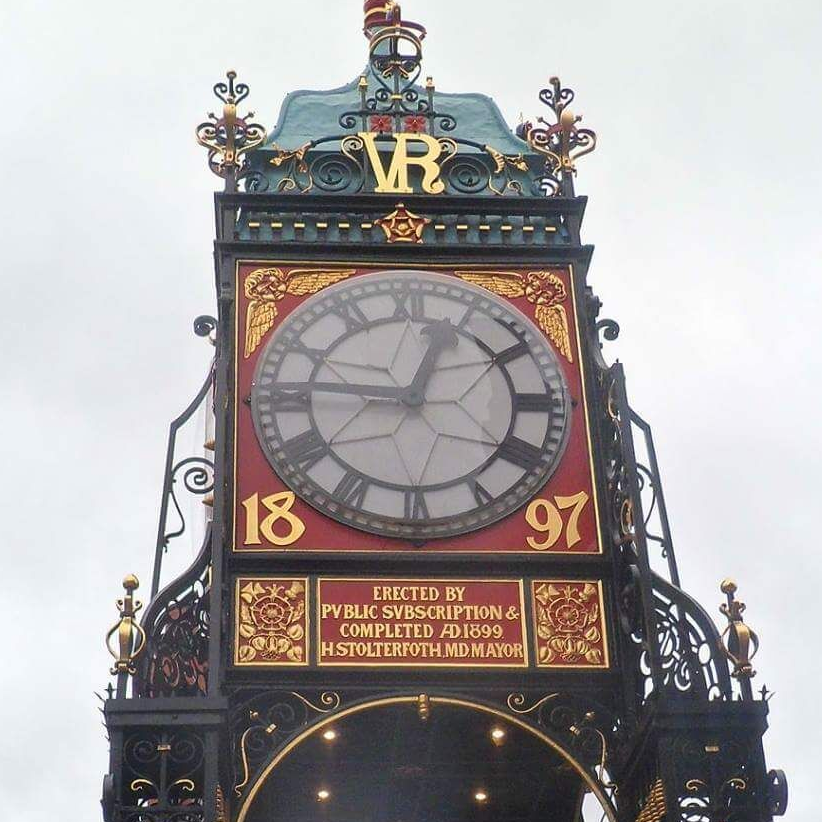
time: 12:46
